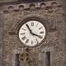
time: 3:55
